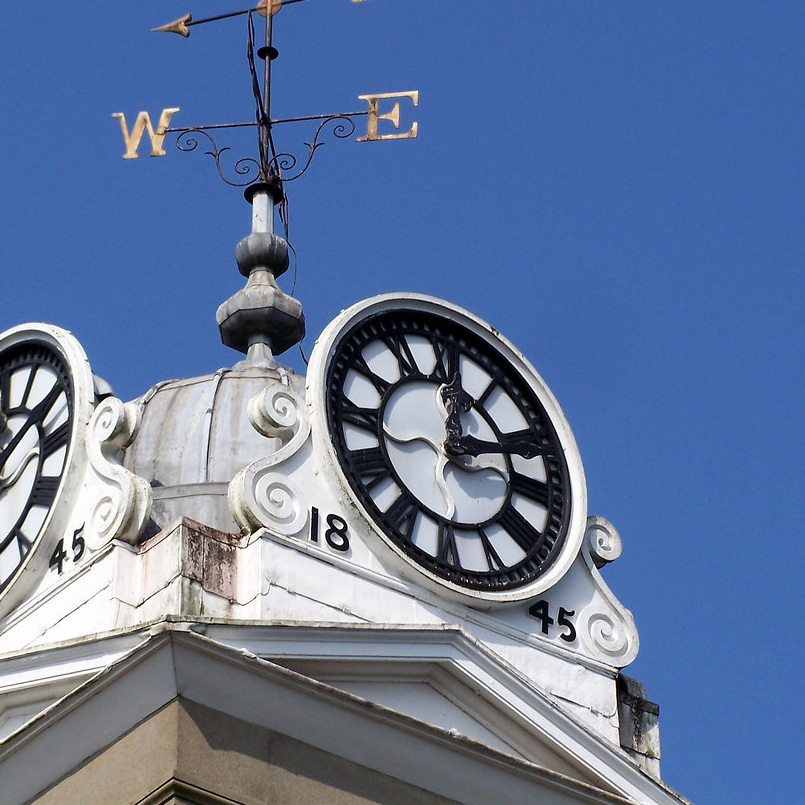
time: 12:12
